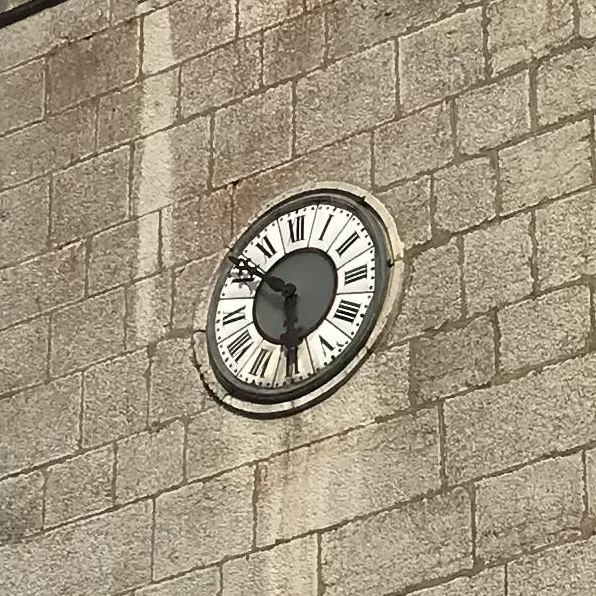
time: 5:51
